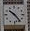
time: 10:24
